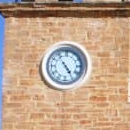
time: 4:53
